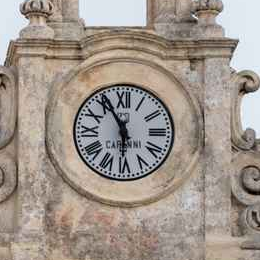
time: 5:55
